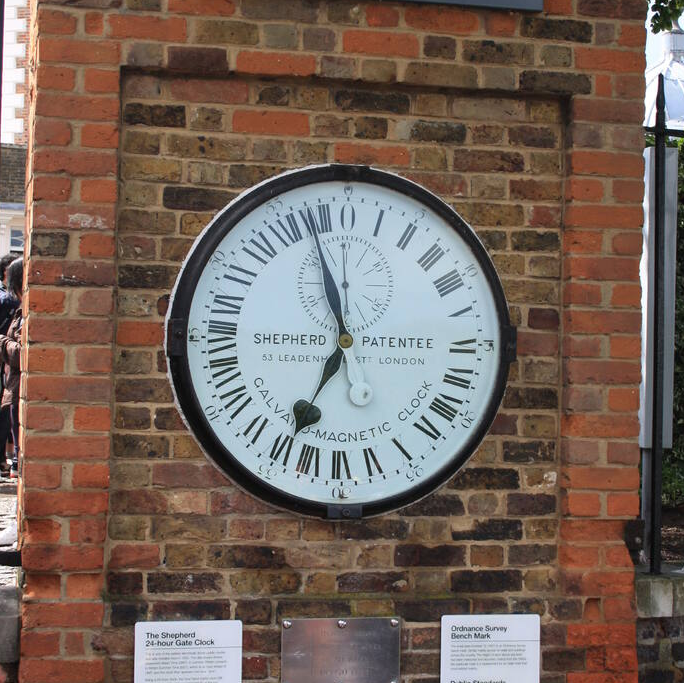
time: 6:56
